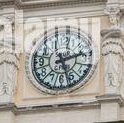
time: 2:26
